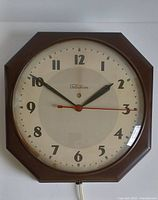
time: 1:50
